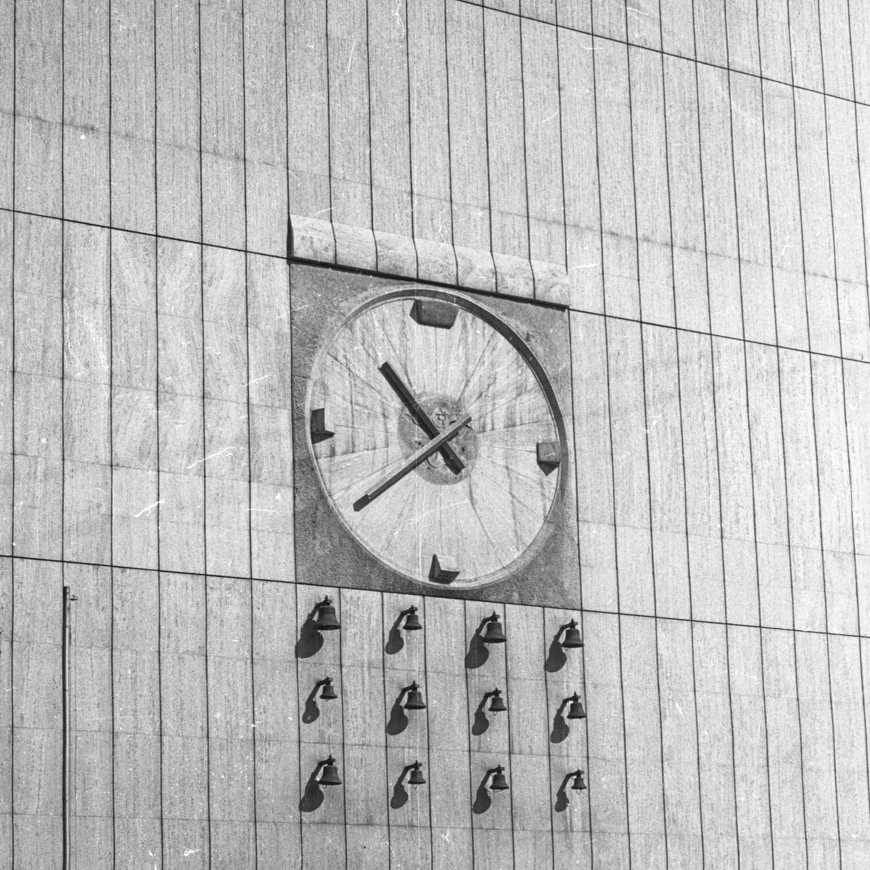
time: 10:39
